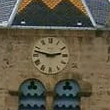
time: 2:47
